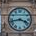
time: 3:42
